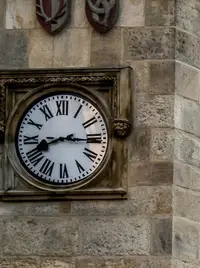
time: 8:15
